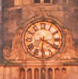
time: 6:20
